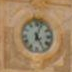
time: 5:03
